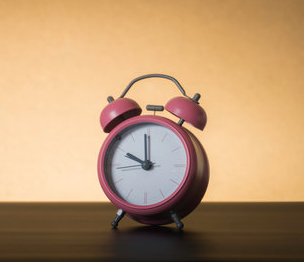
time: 9:59
